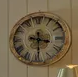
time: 3:29
